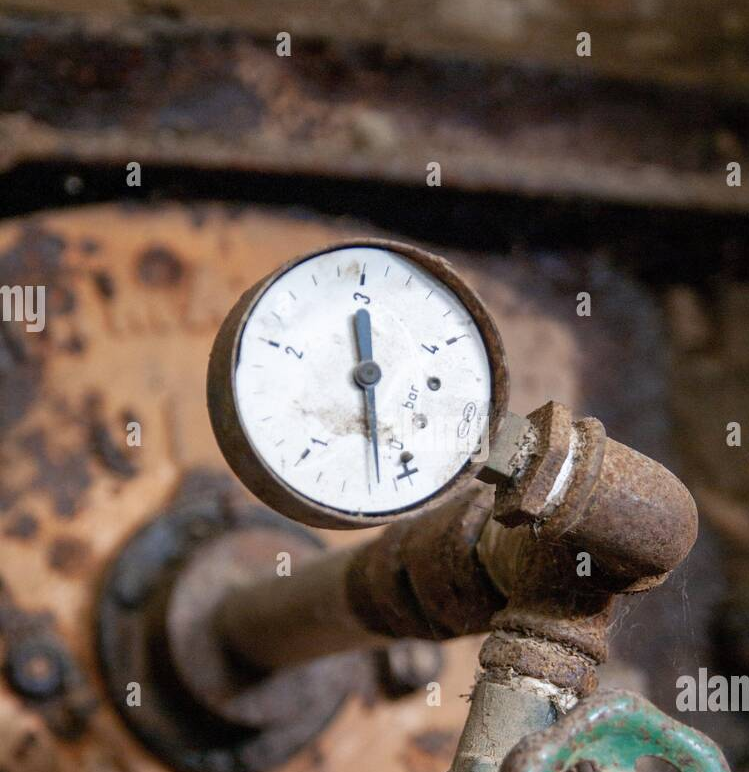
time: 11:28
